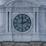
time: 12:12
